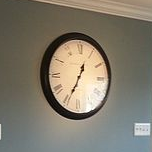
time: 12:34
